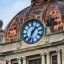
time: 1:33
